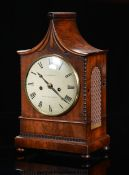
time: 10:21
